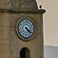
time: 4:21
